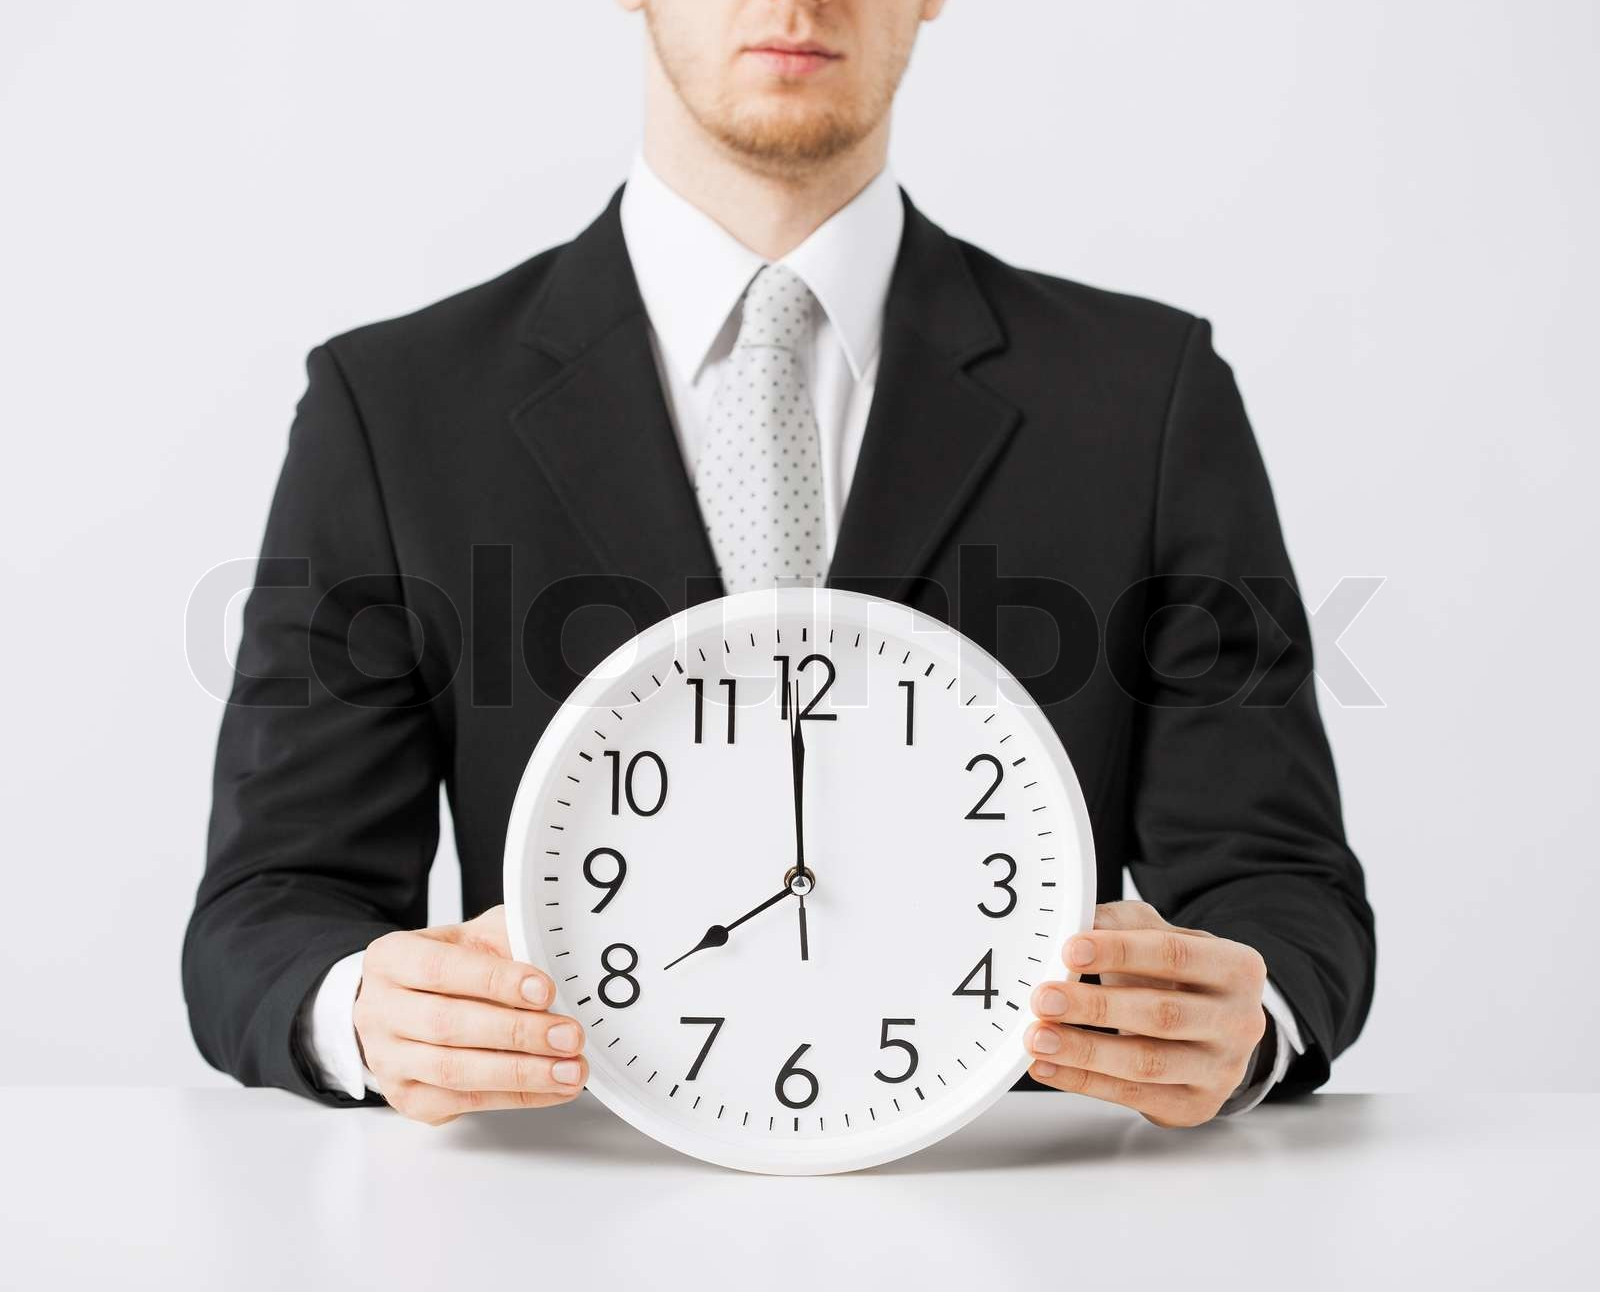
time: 7:59
